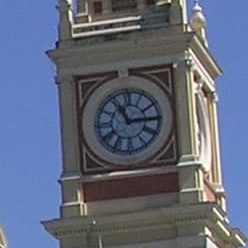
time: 11:14
